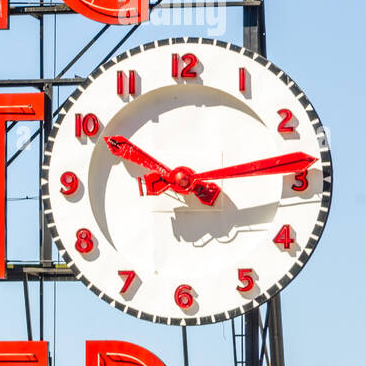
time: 10:13
